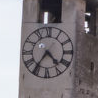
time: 4:35
